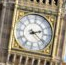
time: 2:21
